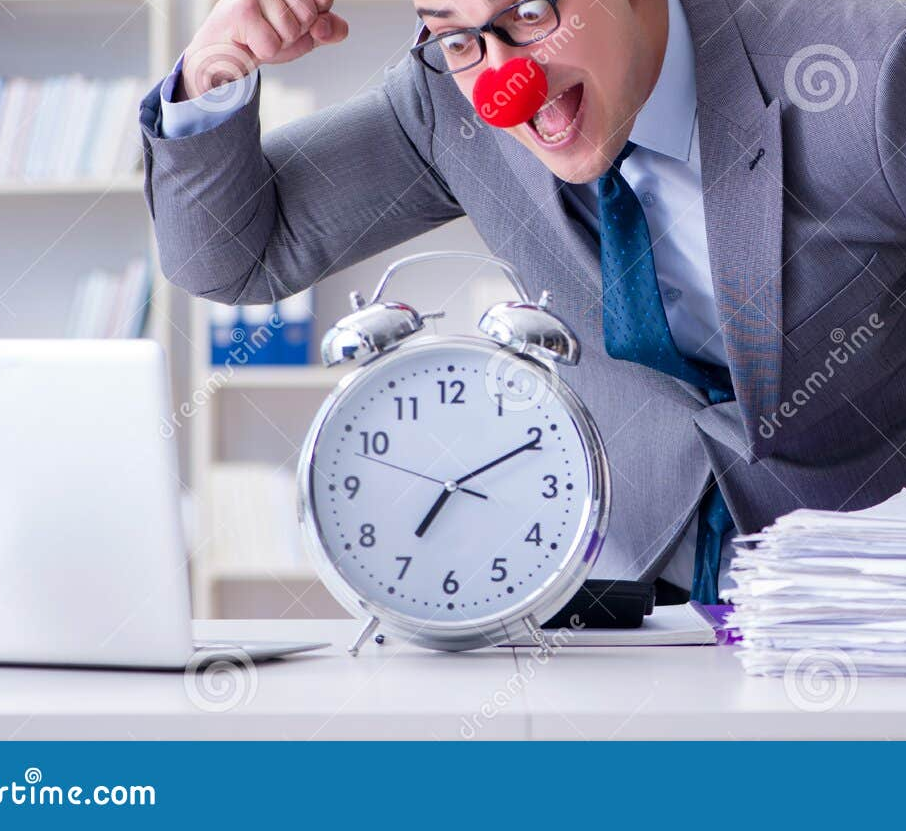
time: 7:10
